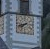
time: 7:41
